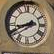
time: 8:40
